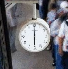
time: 6:00
